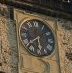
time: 5:38
